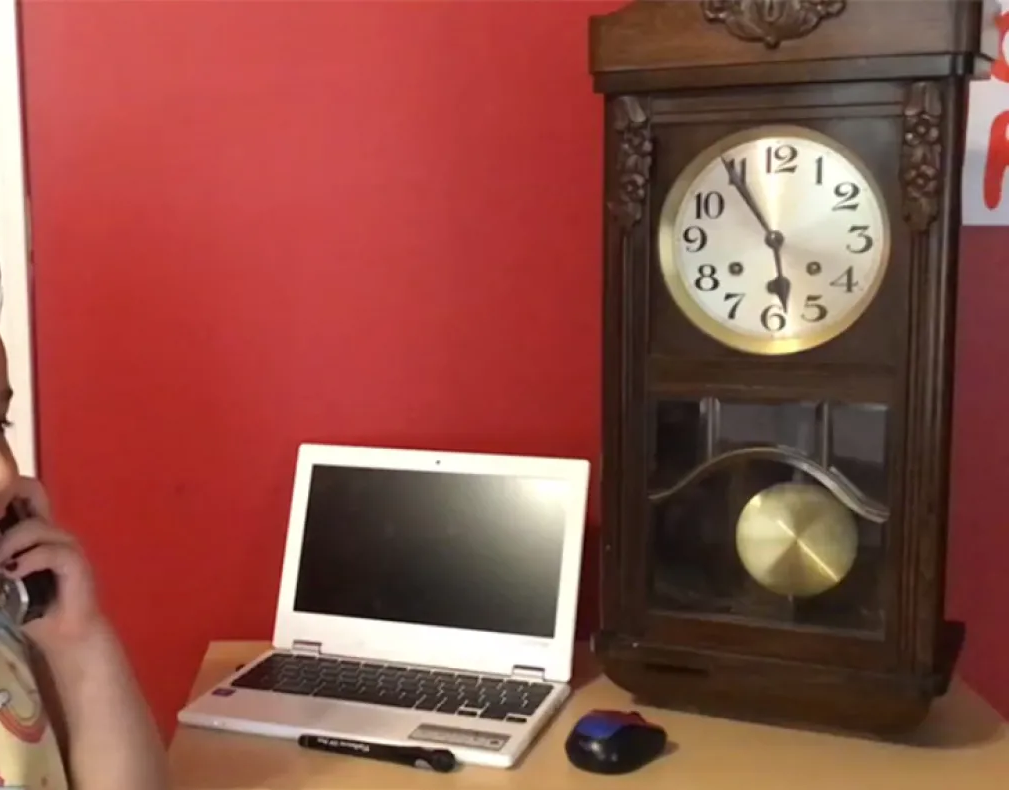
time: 5:54
